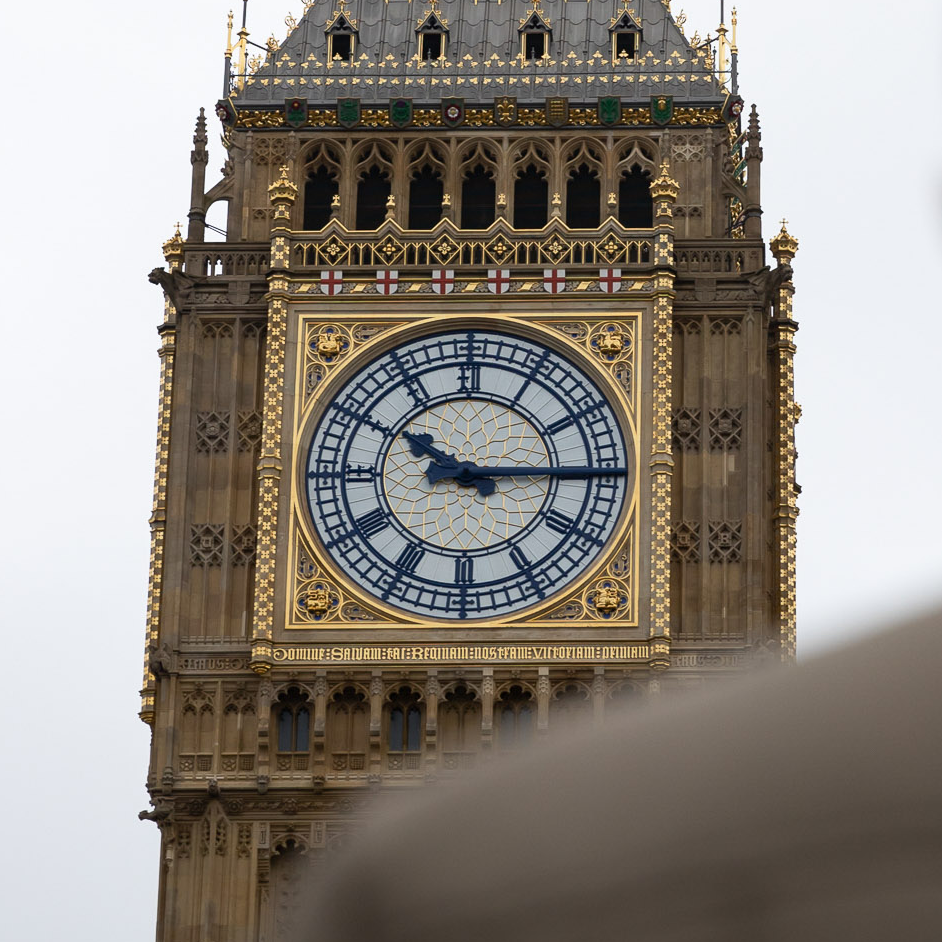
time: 10:14
